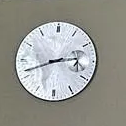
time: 2:42
